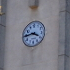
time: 3:44
